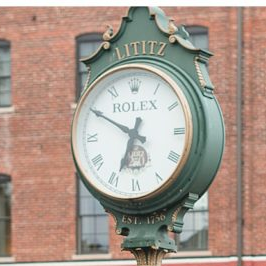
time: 6:49
